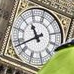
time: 10:38
